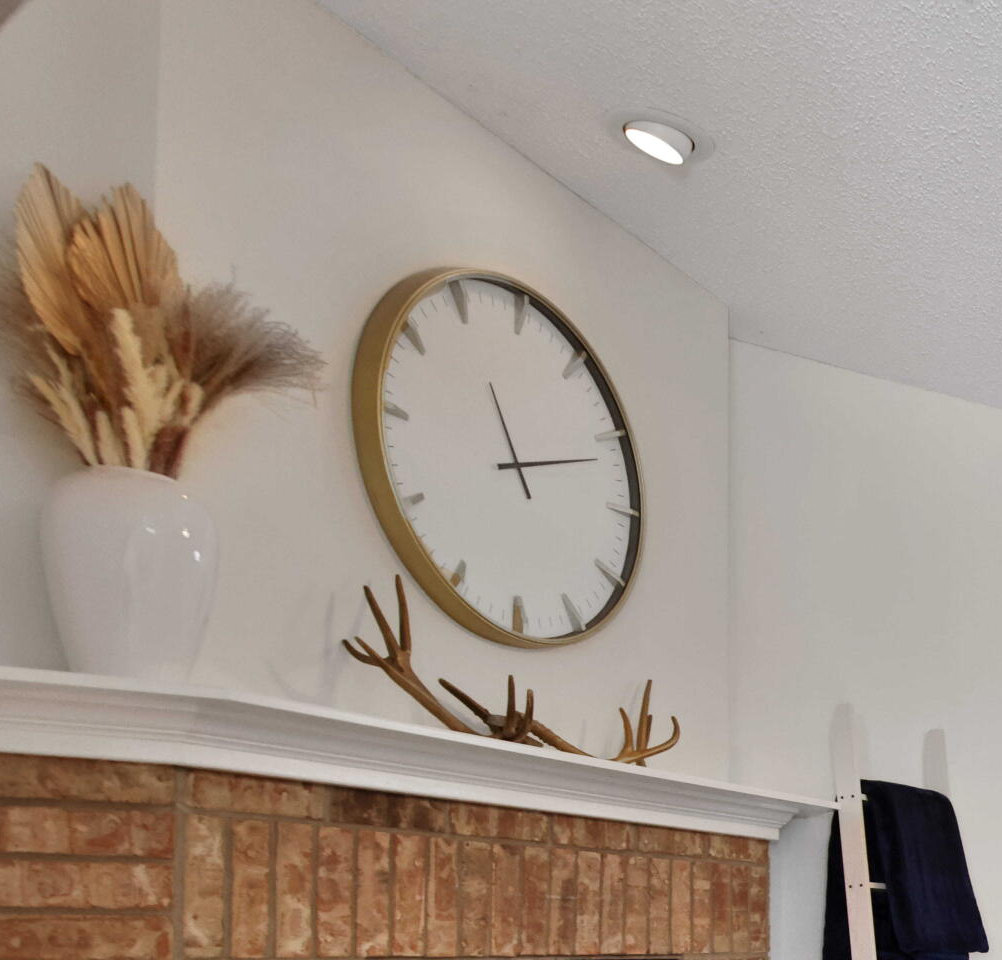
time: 11:11
